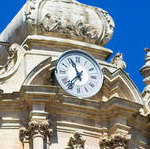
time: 11:36
